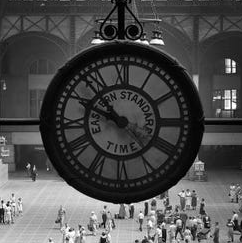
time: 9:53
